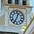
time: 12:34
